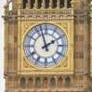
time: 1:57
